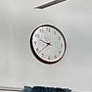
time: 9:38
